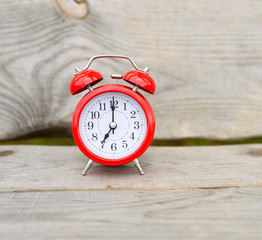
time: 7:00
